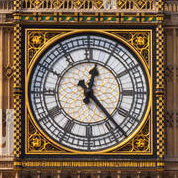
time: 12:23
